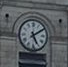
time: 5:09
